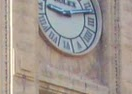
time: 9:12
